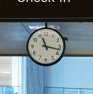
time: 11:17
